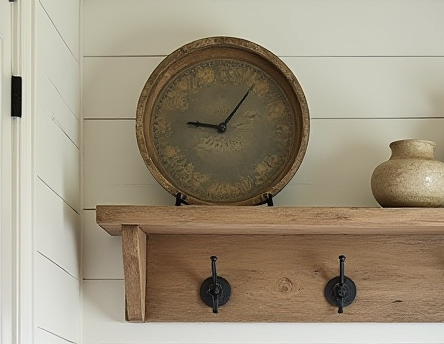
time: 9:06
